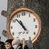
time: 10:52
